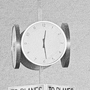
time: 12:28
